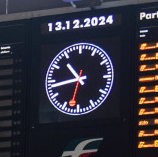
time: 10:43
